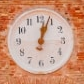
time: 12:03
